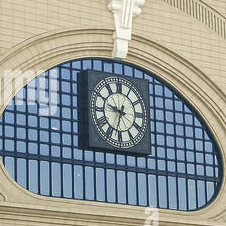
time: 9:33
